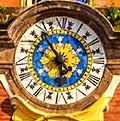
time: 5:53
